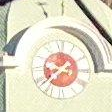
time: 8:38
